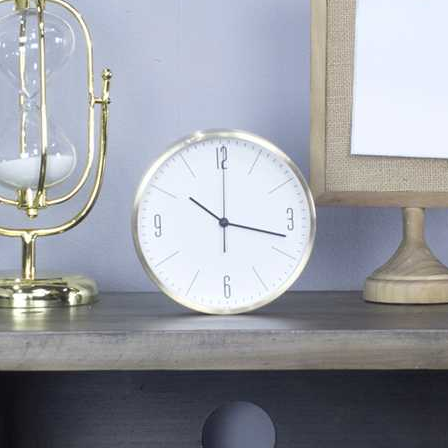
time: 10:17
